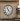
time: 11:22
